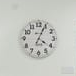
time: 4:04
